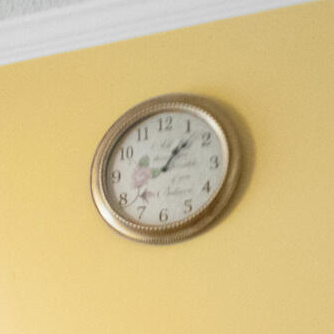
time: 1:07
